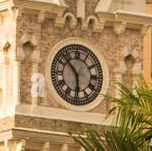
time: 5:52
